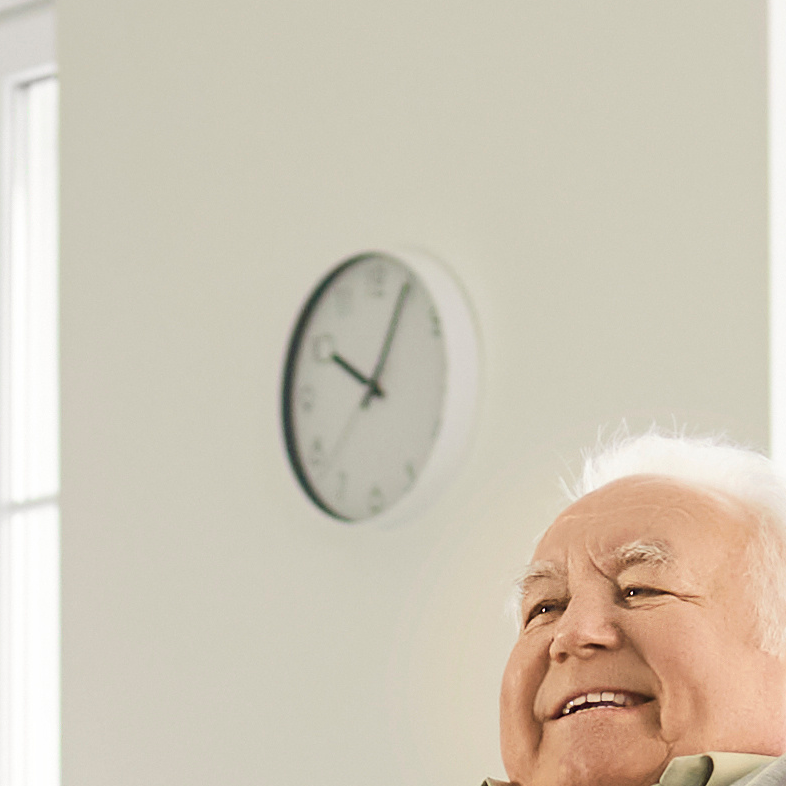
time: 10:04
